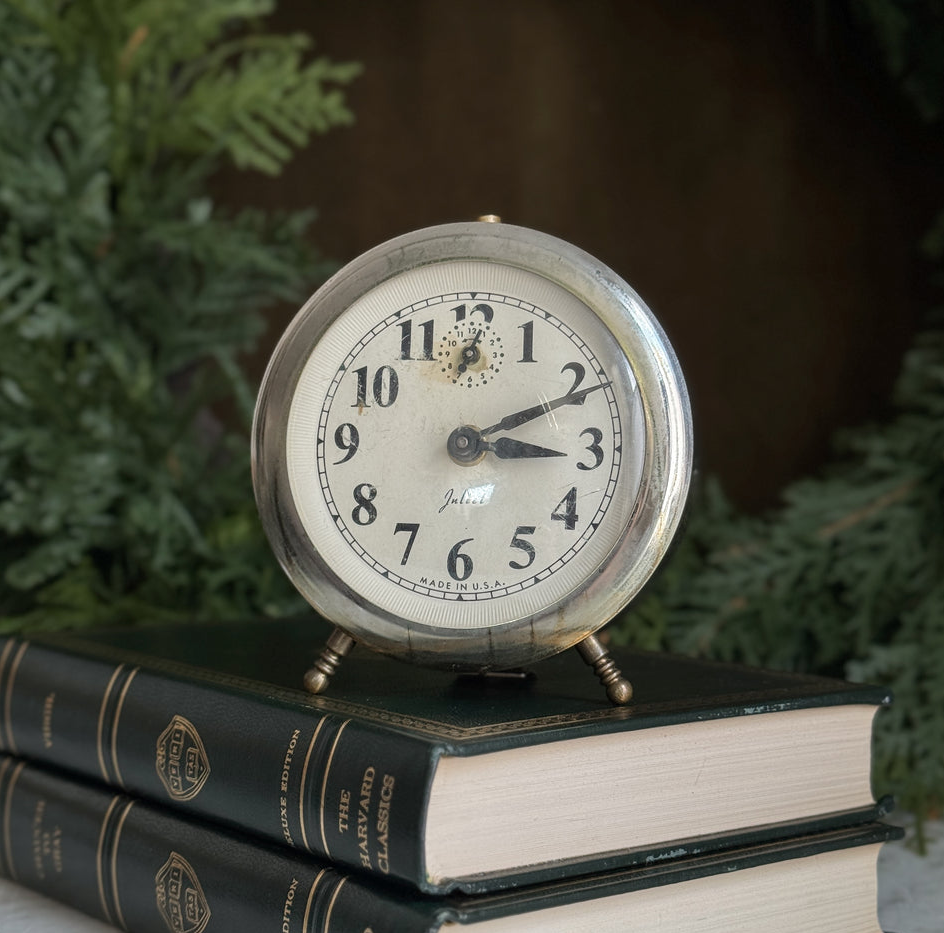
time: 3:10
